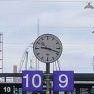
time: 9:18
